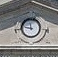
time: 11:46
